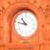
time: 10:47
